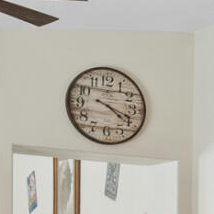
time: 4:18
